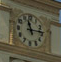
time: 11:14
